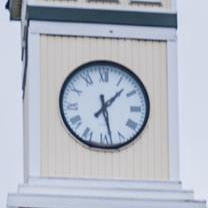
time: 1:28
